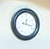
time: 12:17
